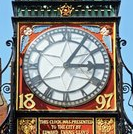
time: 3:05
